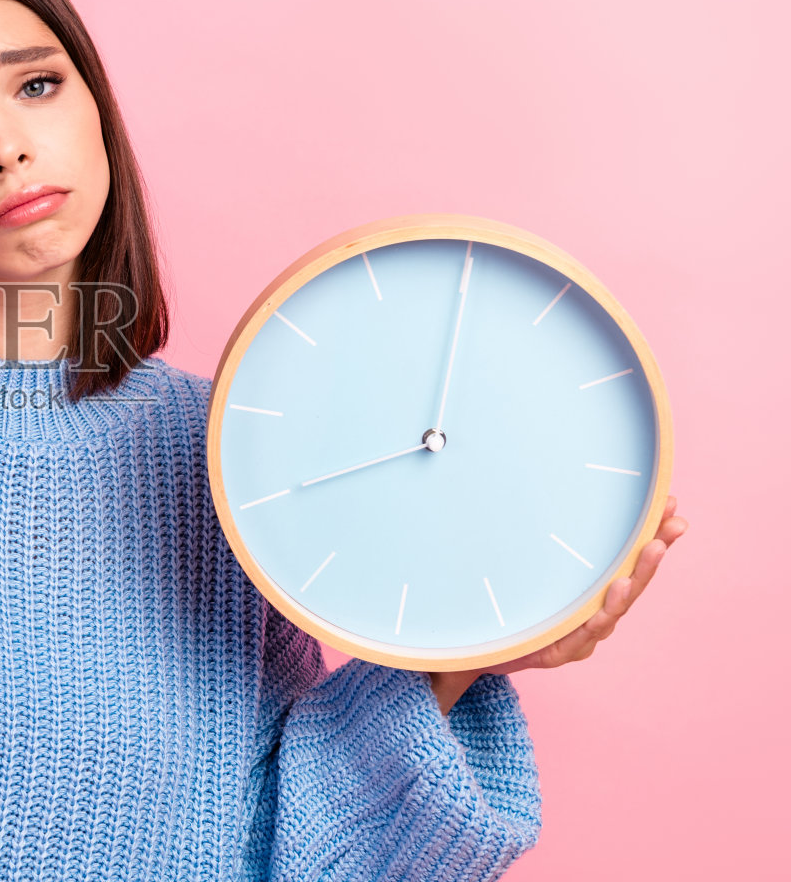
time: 8:00
